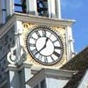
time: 12:38
